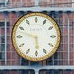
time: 5:47
